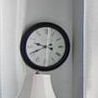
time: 9:41
